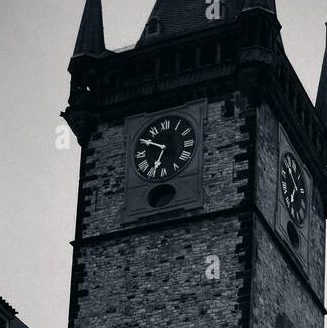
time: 6:50
